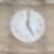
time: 5:00
